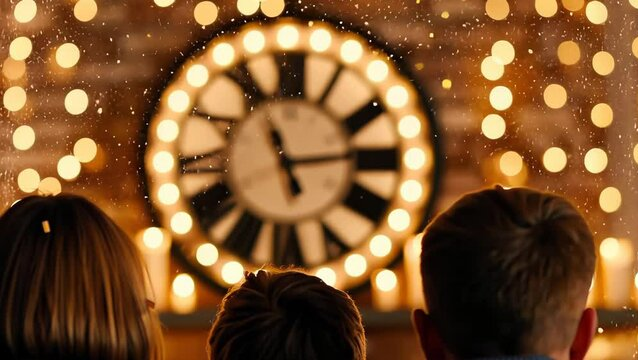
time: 11:13
